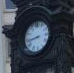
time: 8:43
